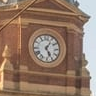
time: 5:05
